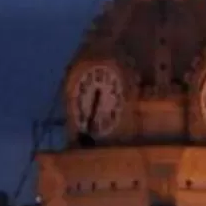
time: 6:32
